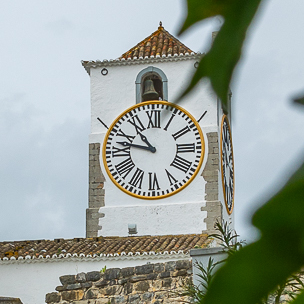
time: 10:47
